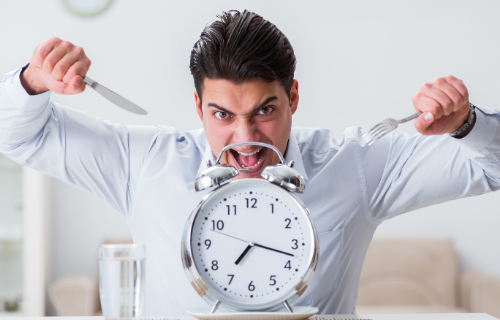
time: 7:17
